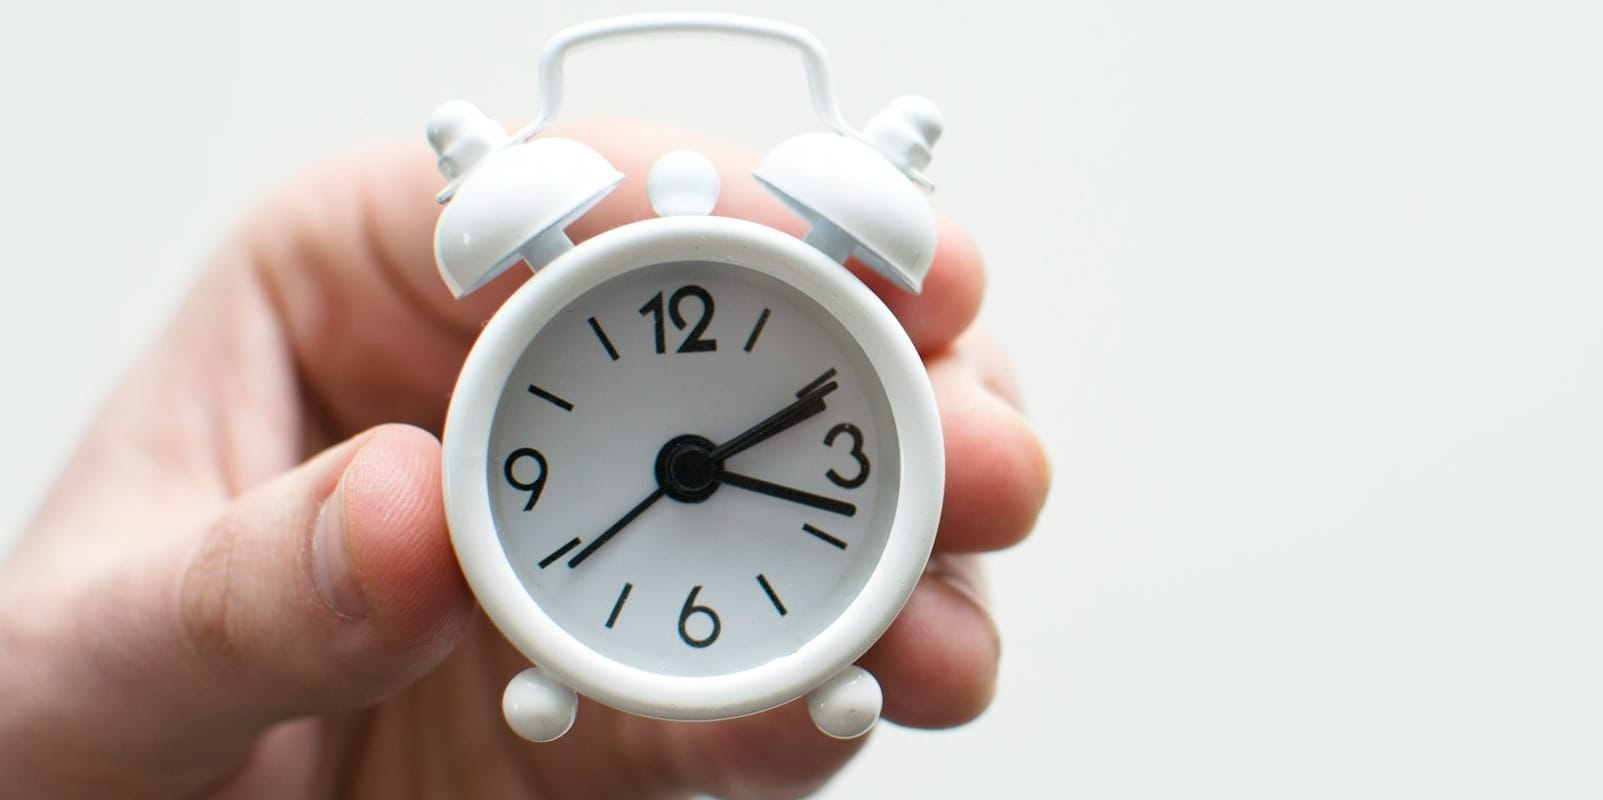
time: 2:18
